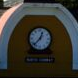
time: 12:37
